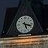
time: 5:17
